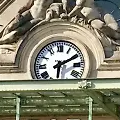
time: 6:10
